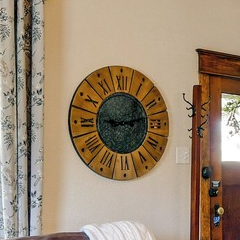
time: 9:13
